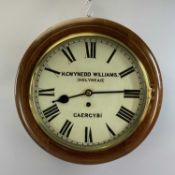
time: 8:14
